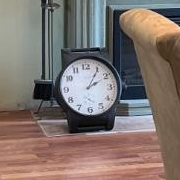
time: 2:05
